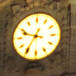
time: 9:35
